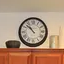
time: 10:52
